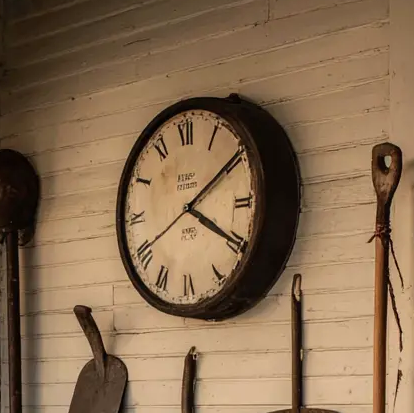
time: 4:09
